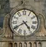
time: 4:40
